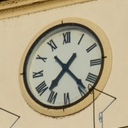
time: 7:23
